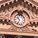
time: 10:34
